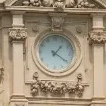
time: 1:20
